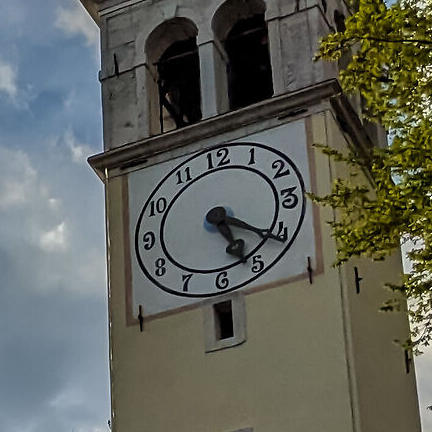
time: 5:20
